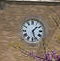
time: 1:27
